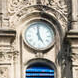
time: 4:59
